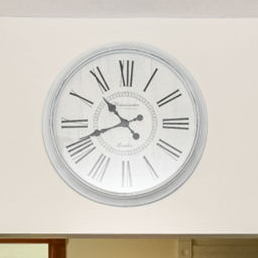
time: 10:41
